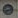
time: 8:12
